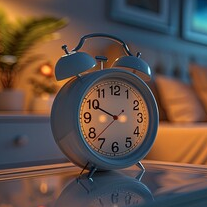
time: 9:49
